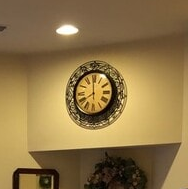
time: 7:59
